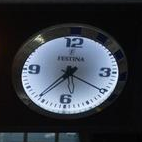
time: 7:20
